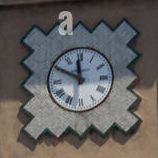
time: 11:49
